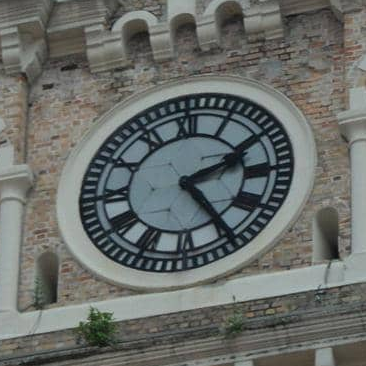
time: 2:24
